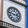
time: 2:46
